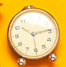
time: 10:14
